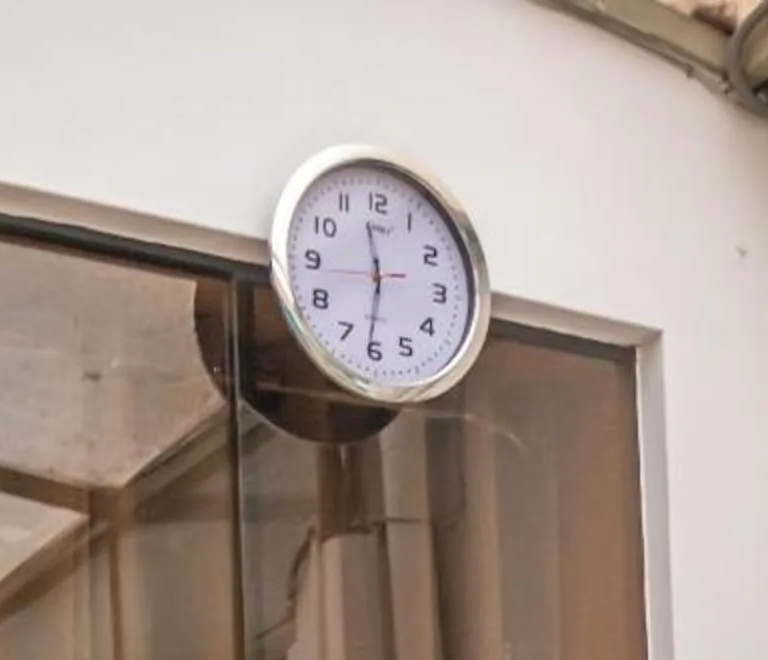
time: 11:31
